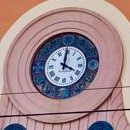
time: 4:00
